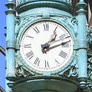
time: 1:12
